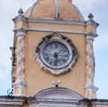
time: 6:07
